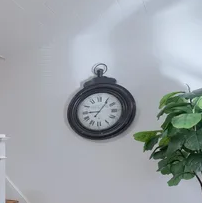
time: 9:05
